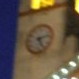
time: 5:12
